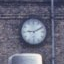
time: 9:10
